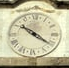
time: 10:21
